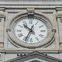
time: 10:34
